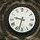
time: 9:33
